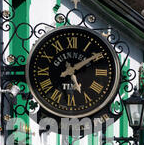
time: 5:09
